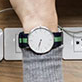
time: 6:32
